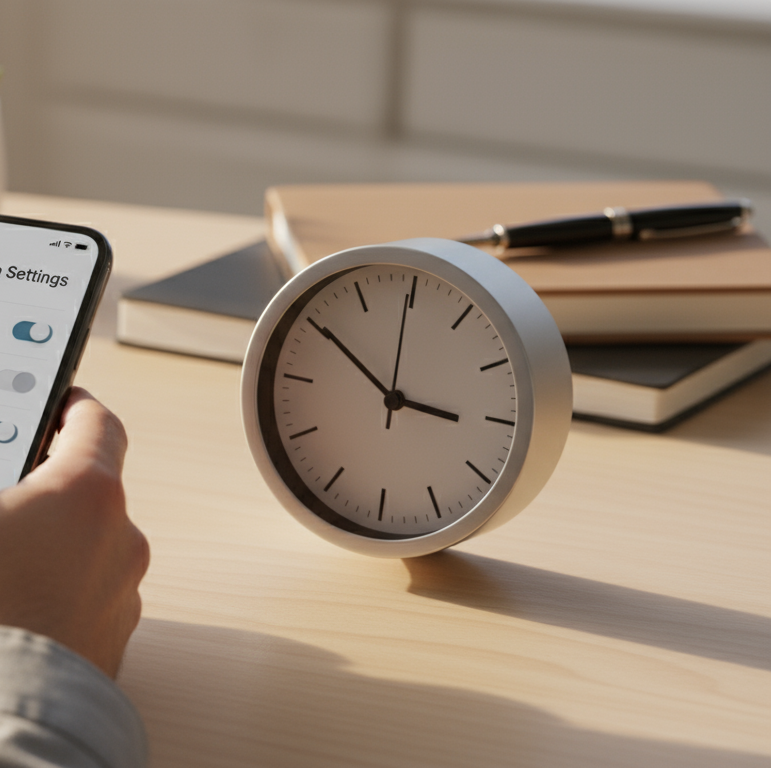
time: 2:50
